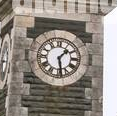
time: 1:28
